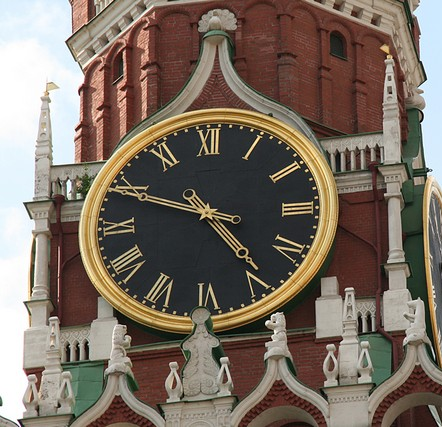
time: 4:49
